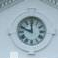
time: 11:48
